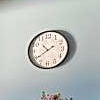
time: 10:39
